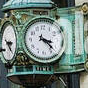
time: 3:22
